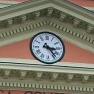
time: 3:23
